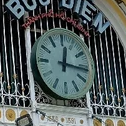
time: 12:16
